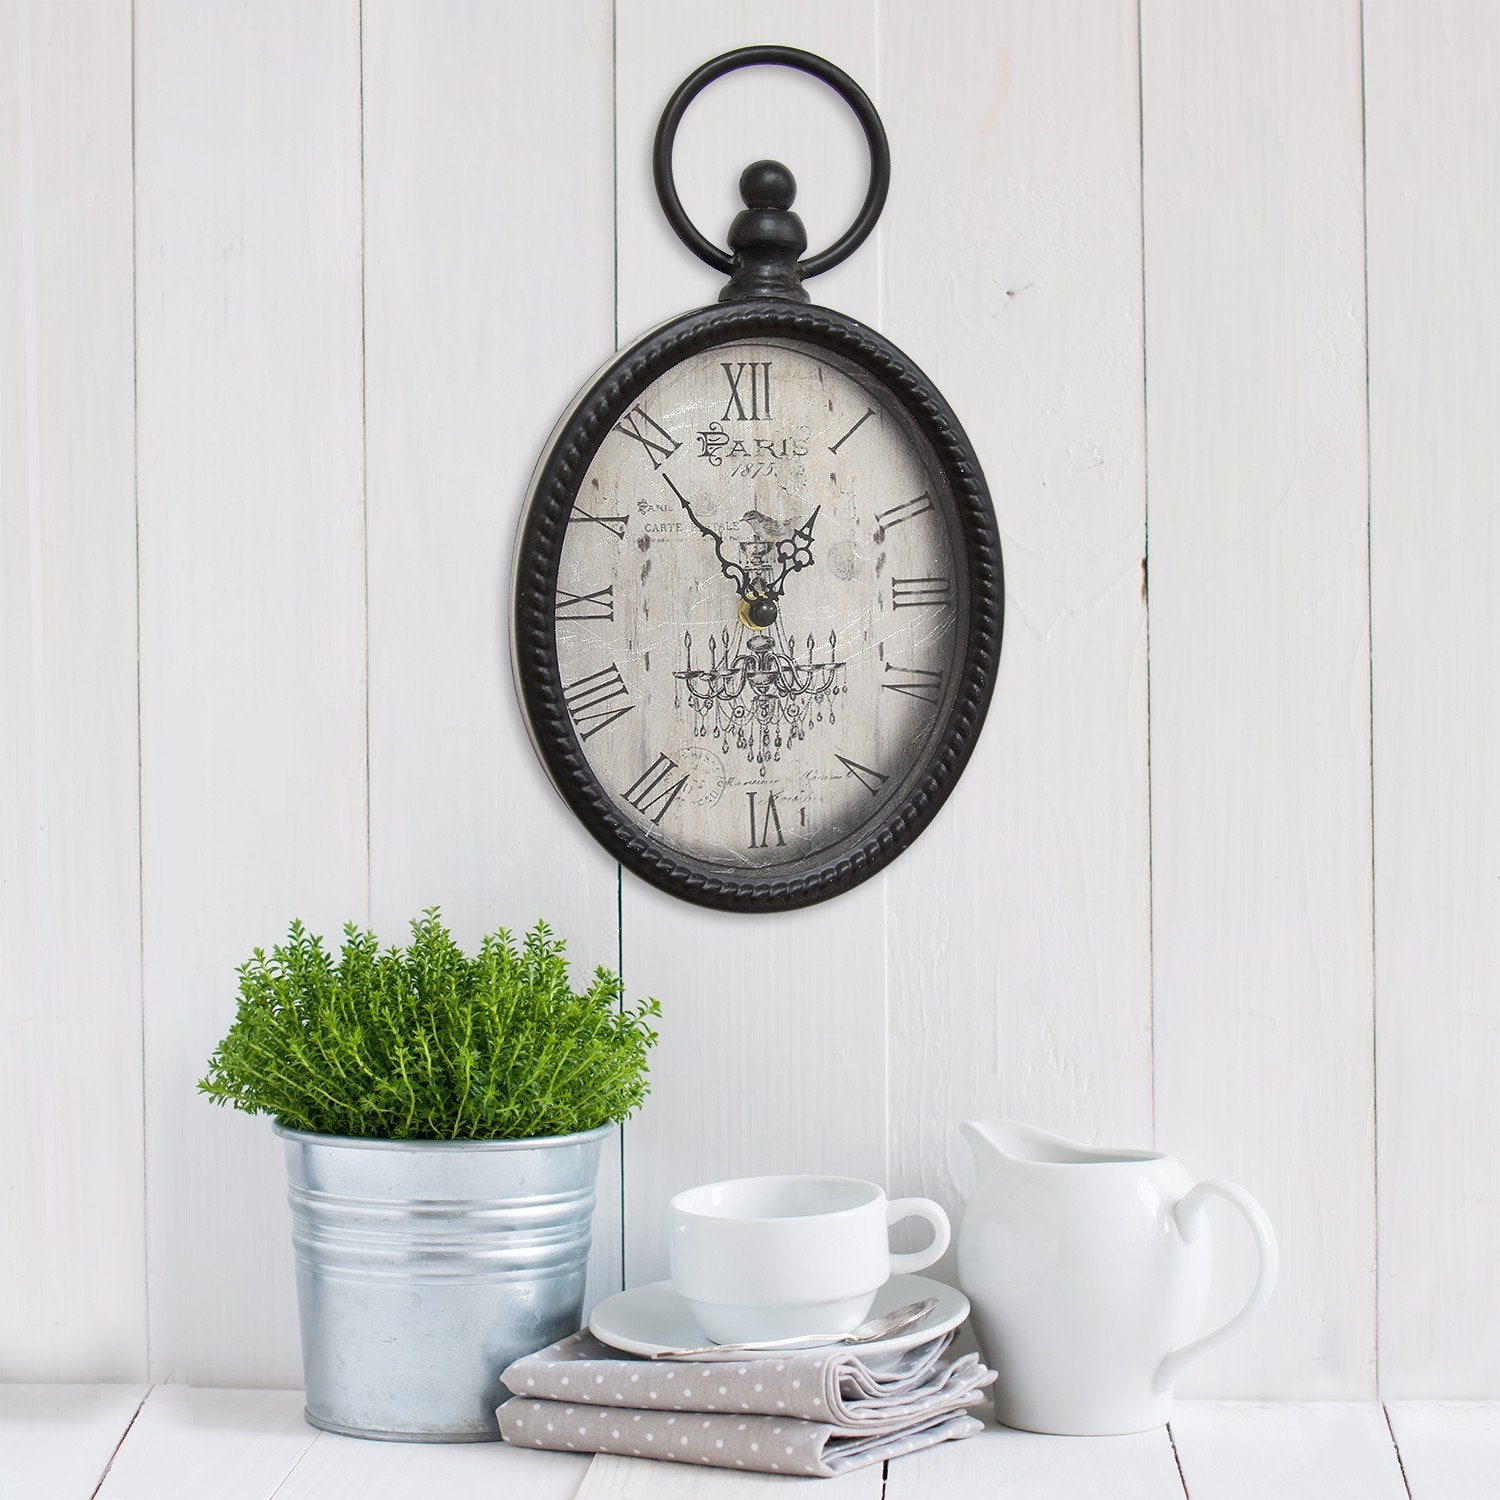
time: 11:53
